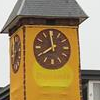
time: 7:59
